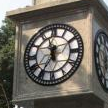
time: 11:35
